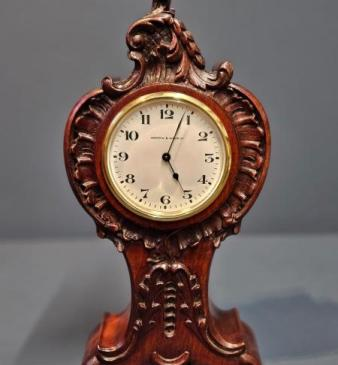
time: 5:03
